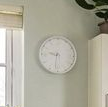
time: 9:31
